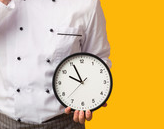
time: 9:55
